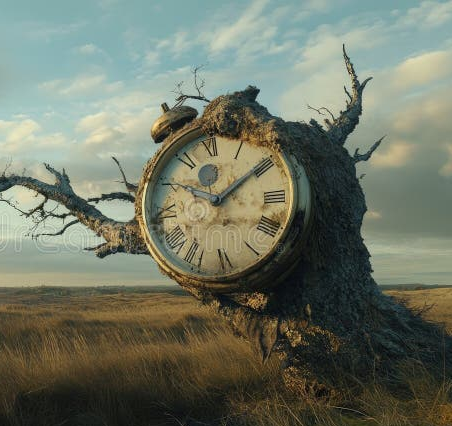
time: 10:09
